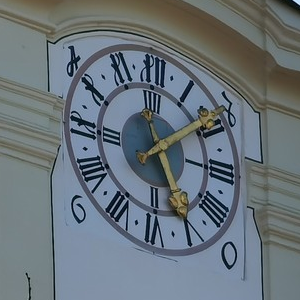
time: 5:08
